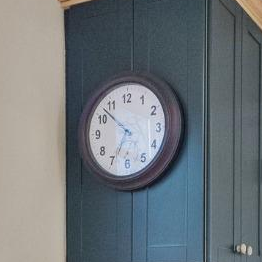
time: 6:52
